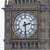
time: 2:29
